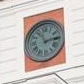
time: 11:13
